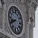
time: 8:40
